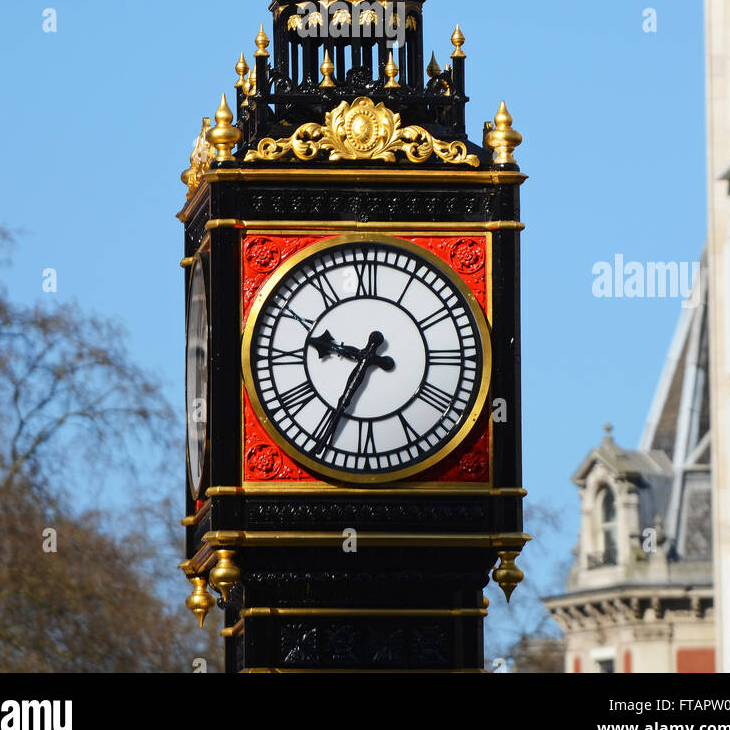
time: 9:34
